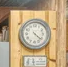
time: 4:21
